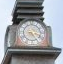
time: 5:18
